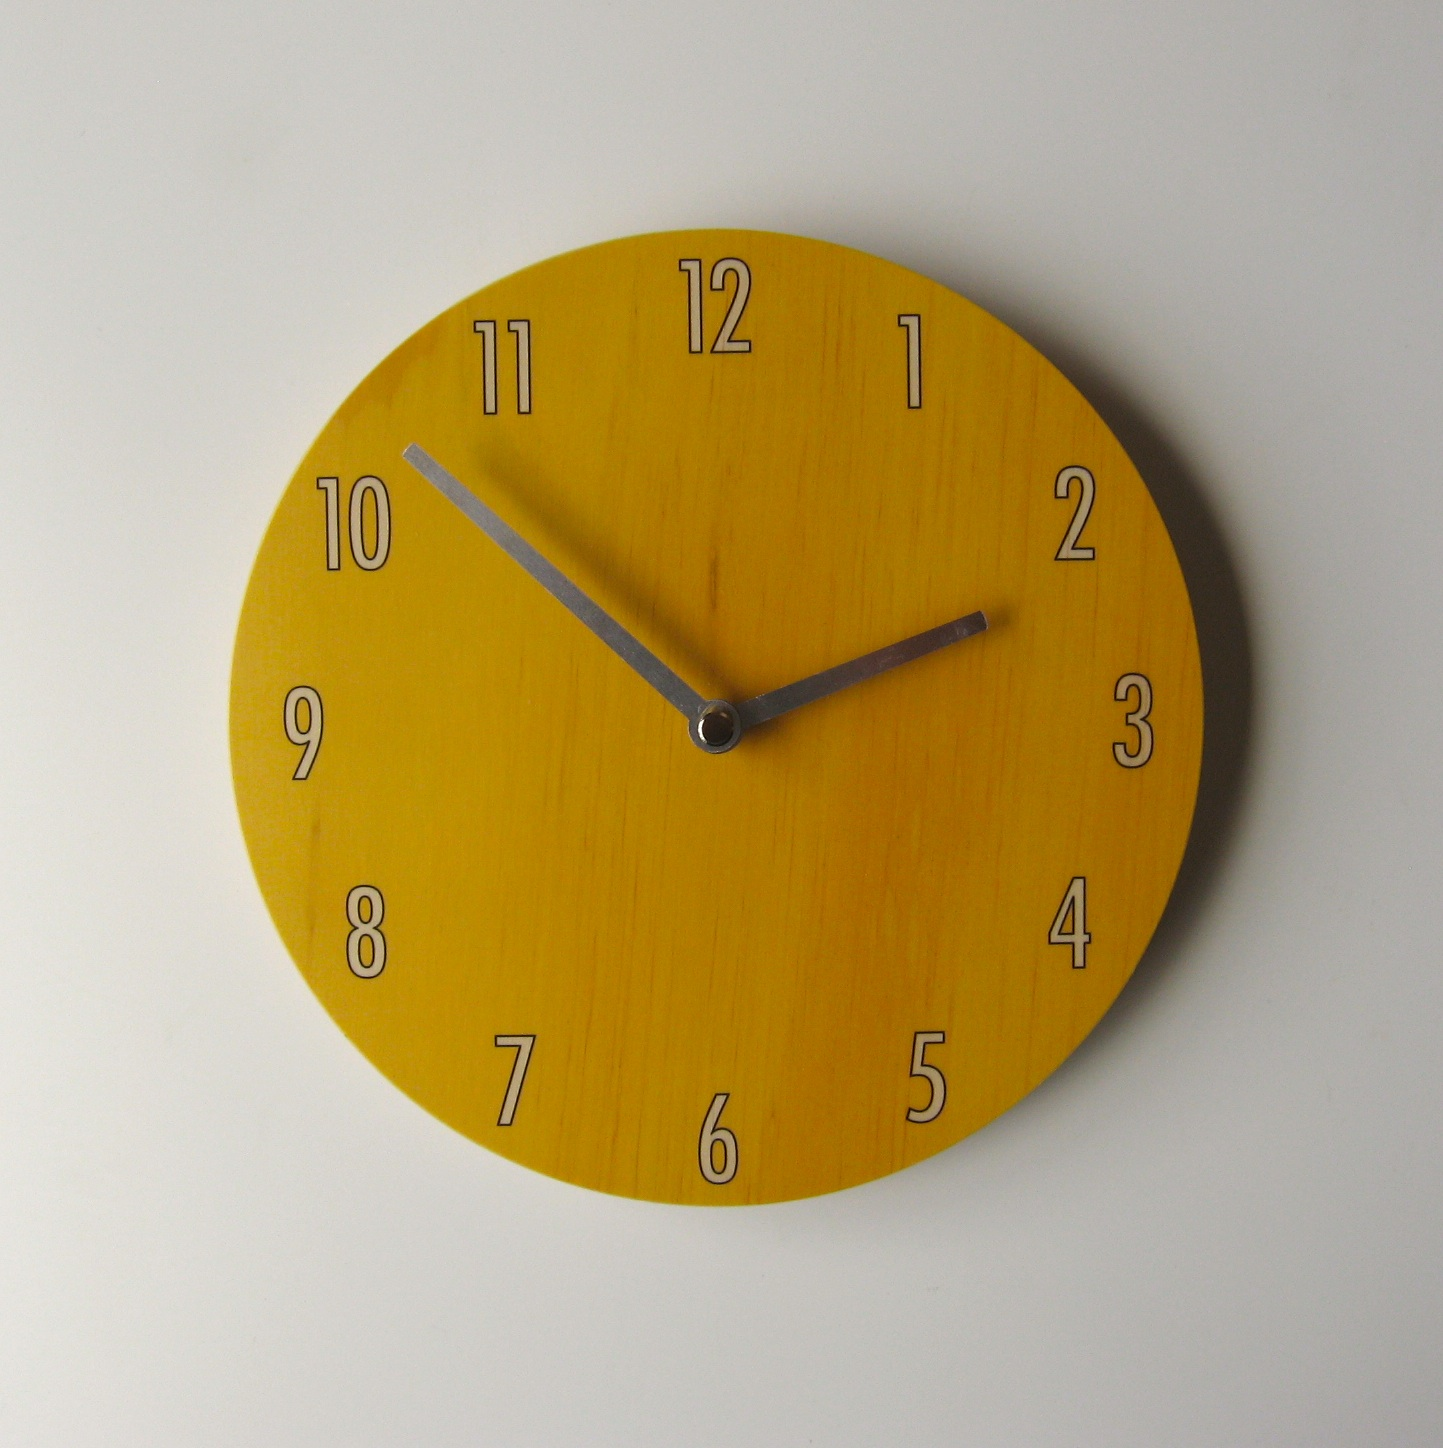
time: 2:11
